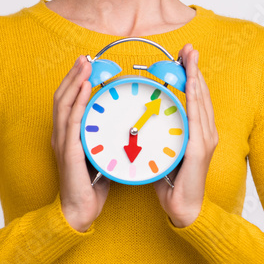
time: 6:06
